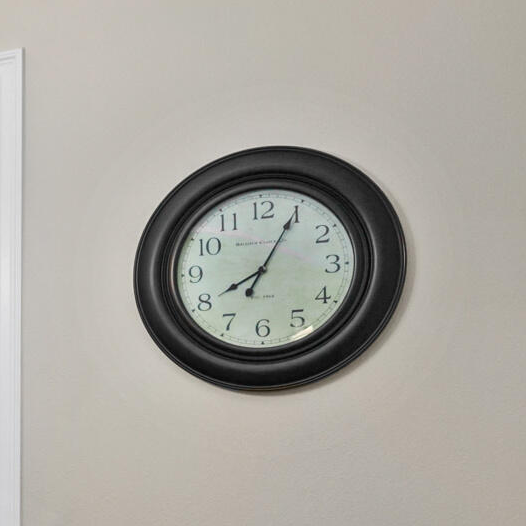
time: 8:04
